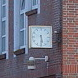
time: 5:29
